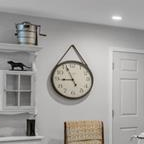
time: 8:56
